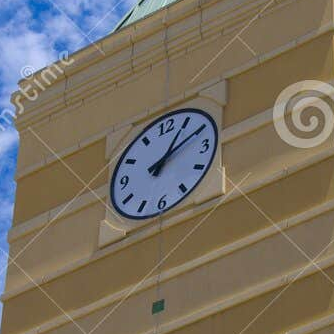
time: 1:10
